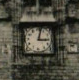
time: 3:02
